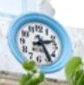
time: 2:24
